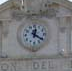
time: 12:20
